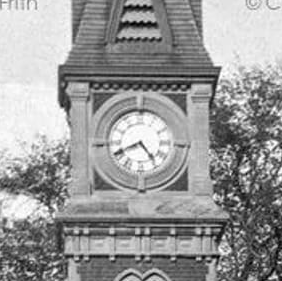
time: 4:40
